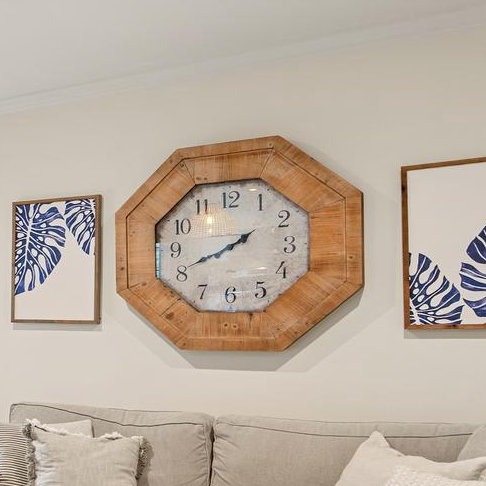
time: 1:40
